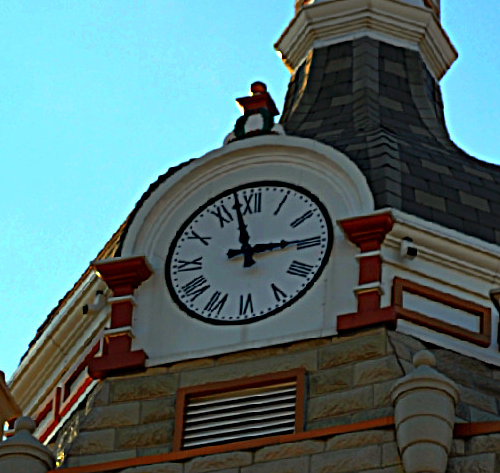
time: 2:57
